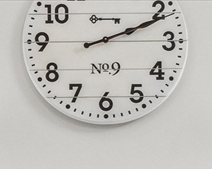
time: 2:11
